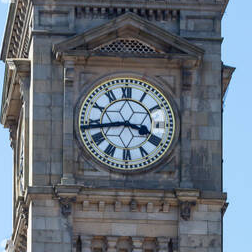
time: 3:43
